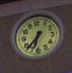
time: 6:37
